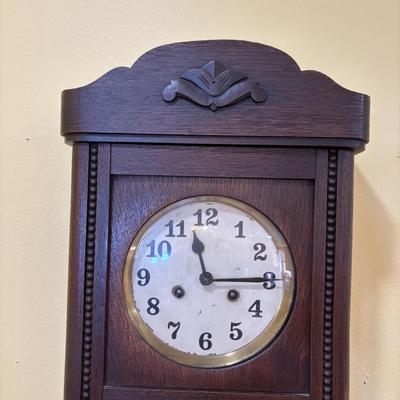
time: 11:14
